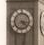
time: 3:22
